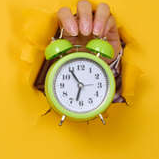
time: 6:54
